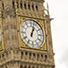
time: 1:02
